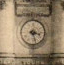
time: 3:27
